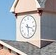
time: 3:28
